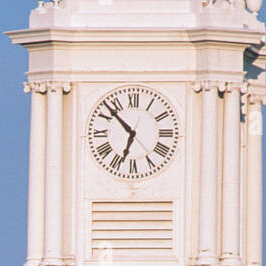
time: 6:52
